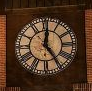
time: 12:24
